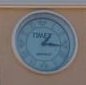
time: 1:16
